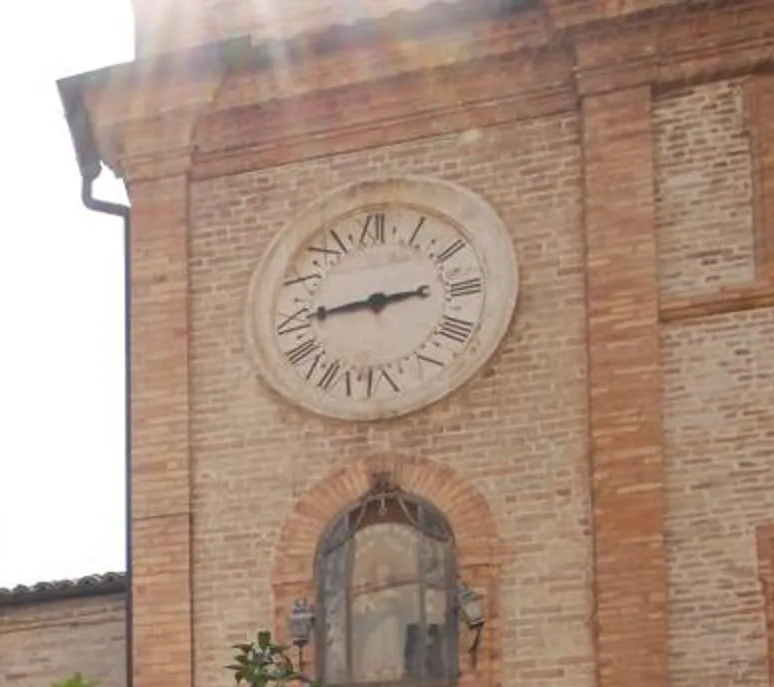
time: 2:44
